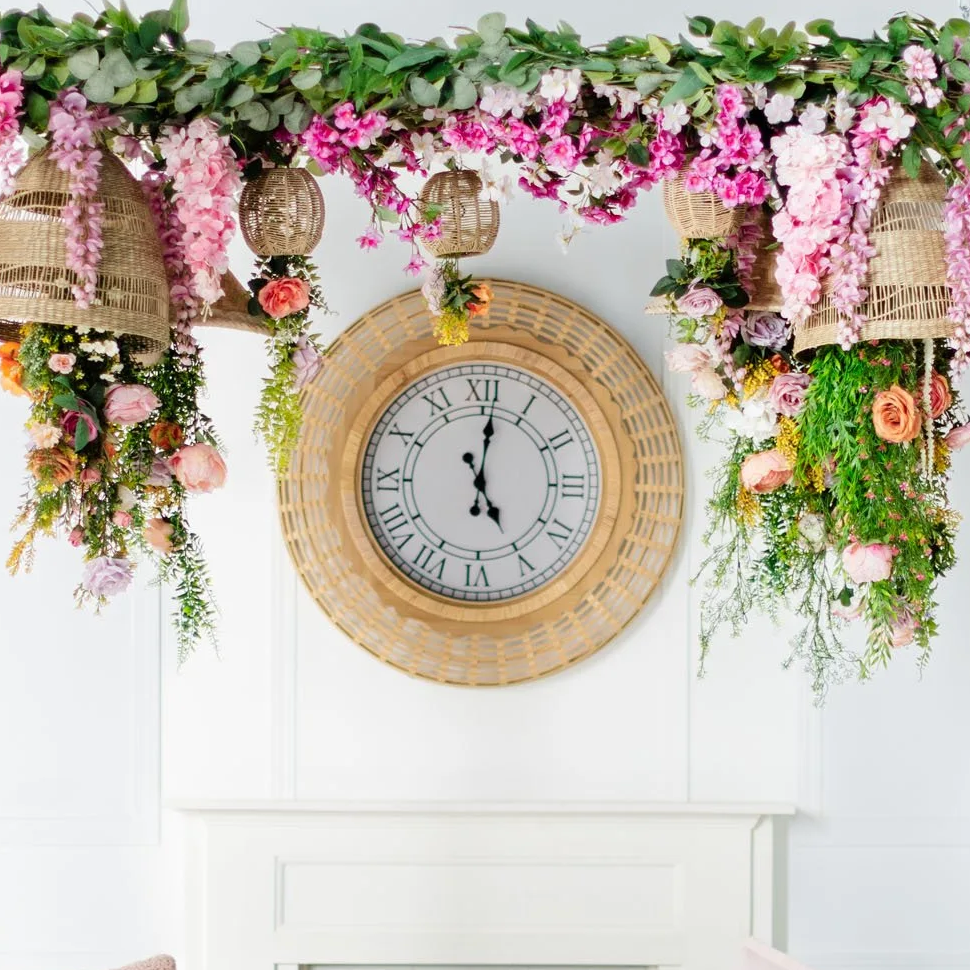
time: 5:01
